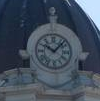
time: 10:07
